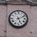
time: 5:11
